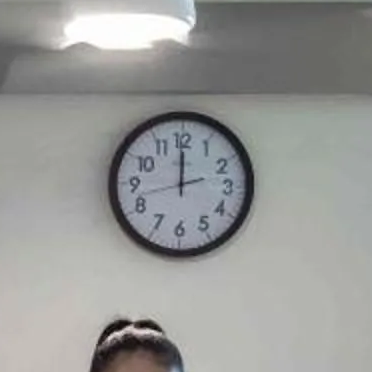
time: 11:59
